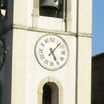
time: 5:06
